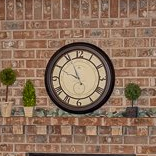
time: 9:56
